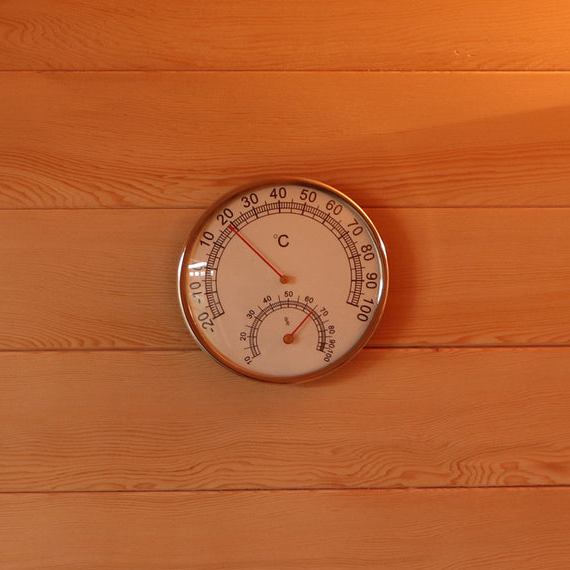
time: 4:52
